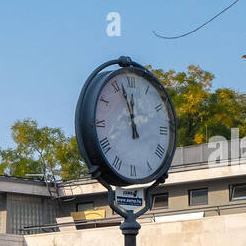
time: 11:57
